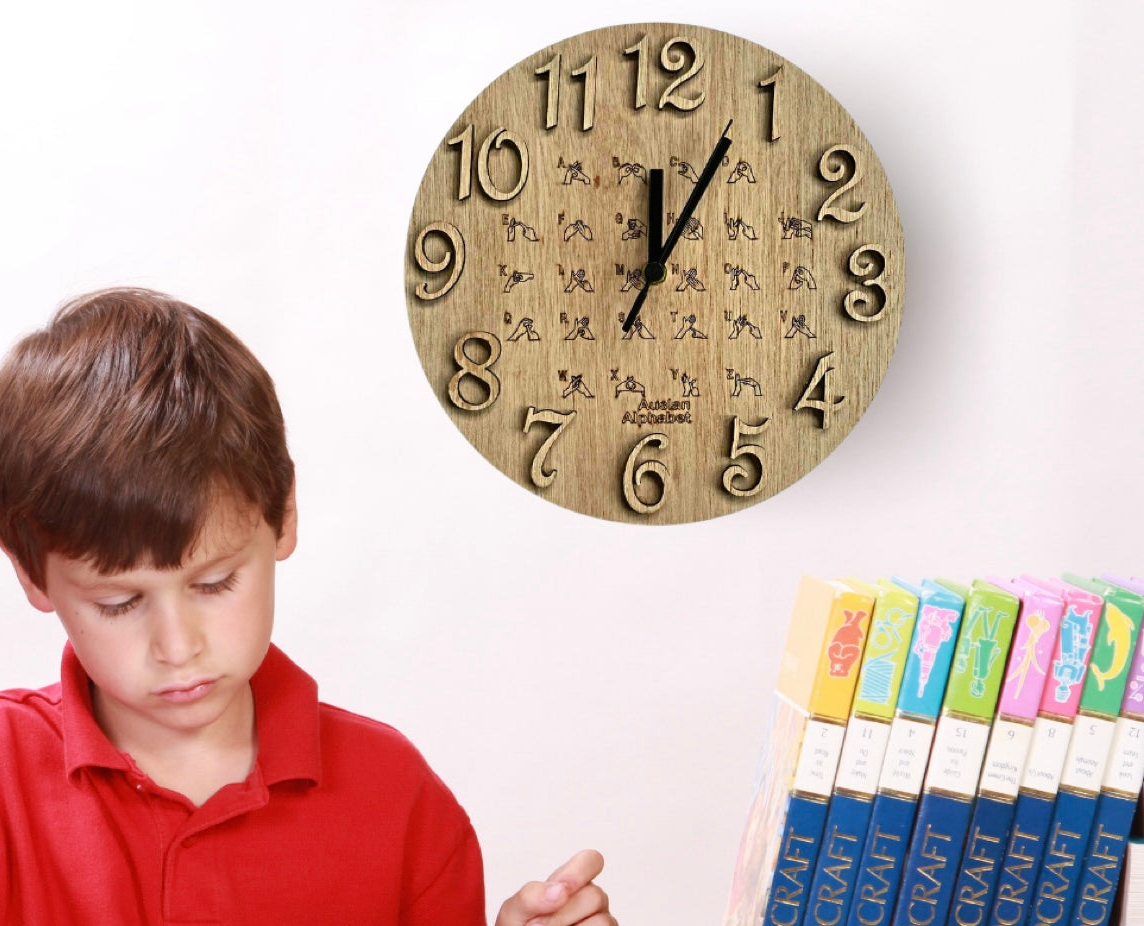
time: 12:04
